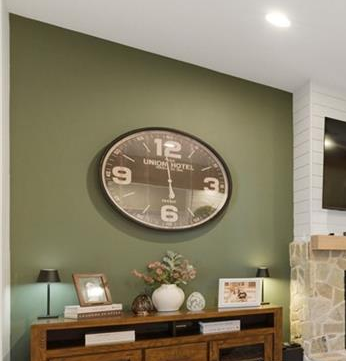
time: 5:59
